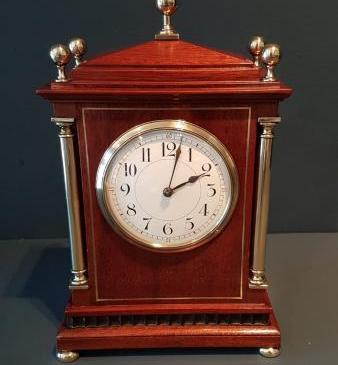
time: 2:02
